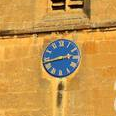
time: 2:42
